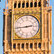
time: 2:43
